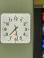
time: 7:28
